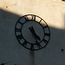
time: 4:26
